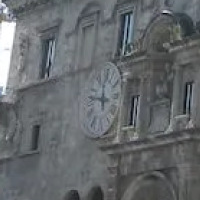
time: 11:46
